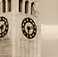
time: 6:13
